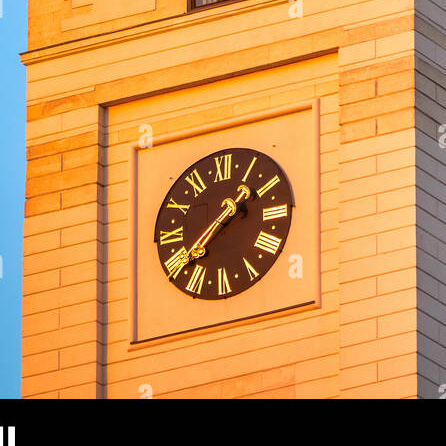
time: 1:38
